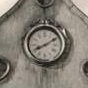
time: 8:09
